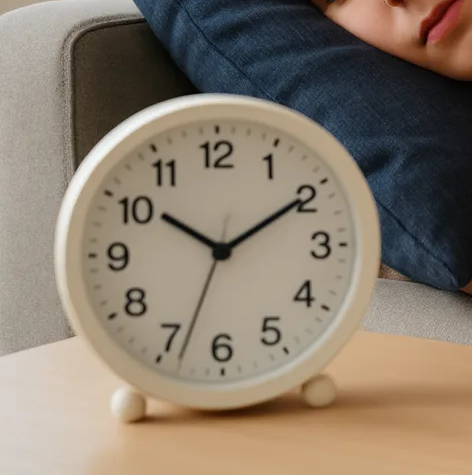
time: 10:09
